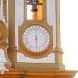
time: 6:01
